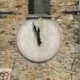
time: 11:56
